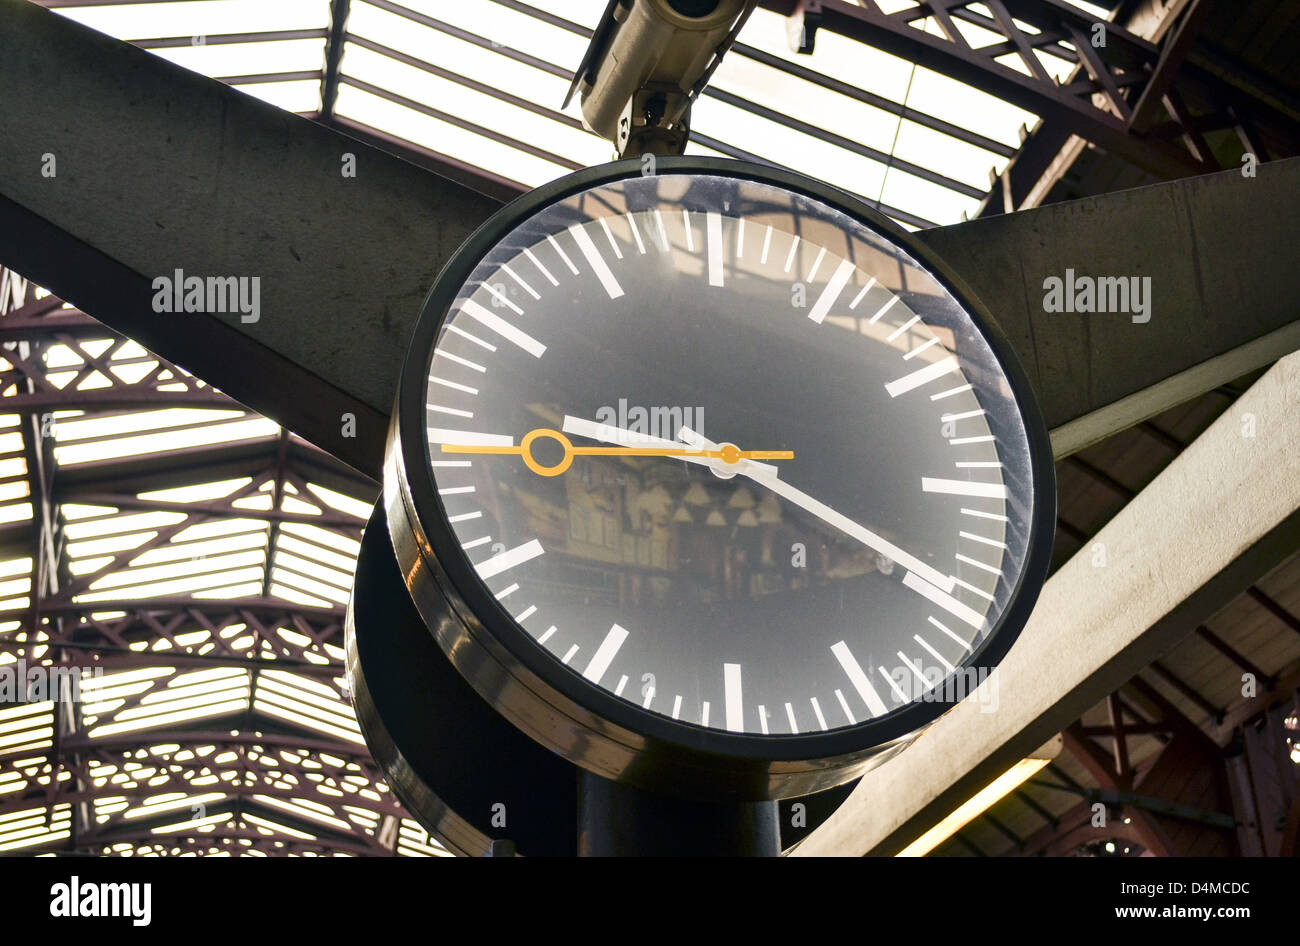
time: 9:20
